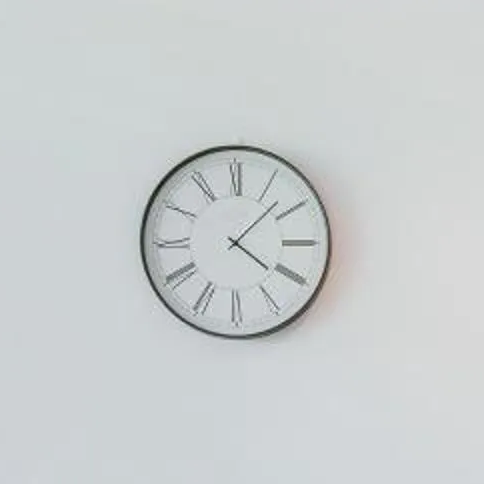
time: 4:07
